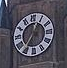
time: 12:36
